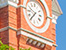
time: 9:36
